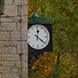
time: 12:21
